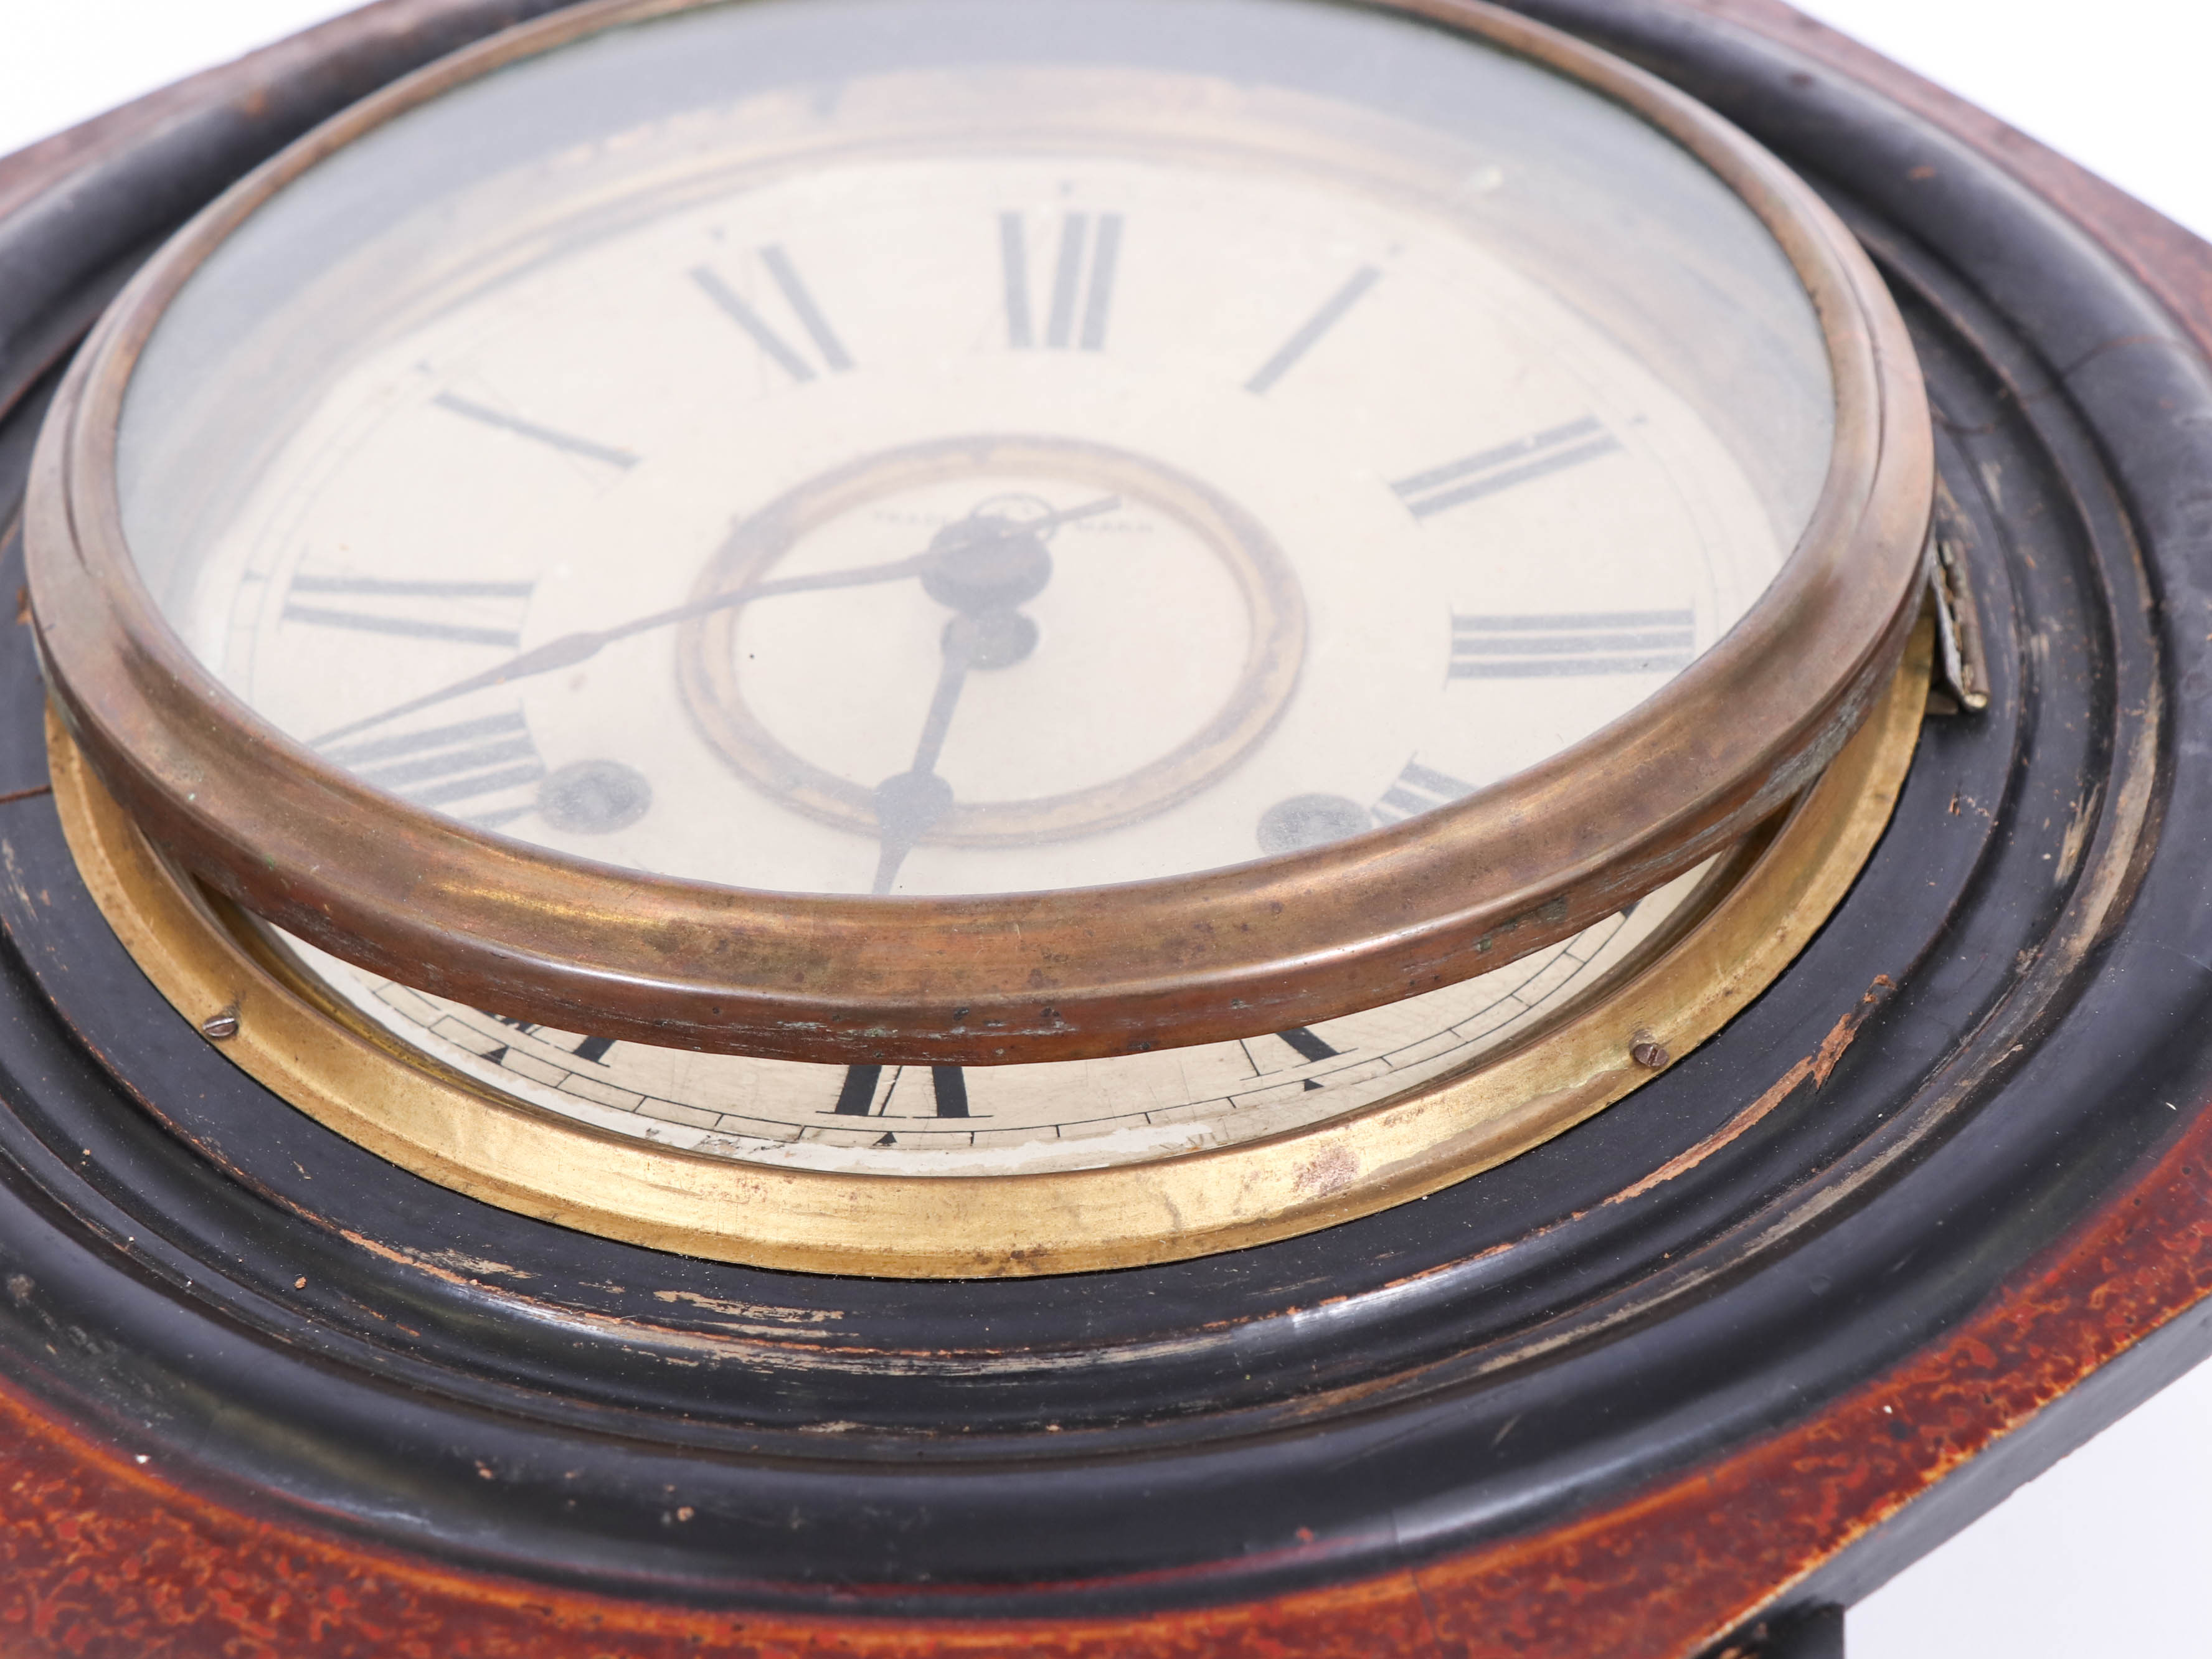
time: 5:30
